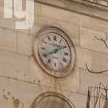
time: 1:40
